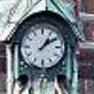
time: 1:09
